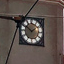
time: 1:50
